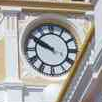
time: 9:50
